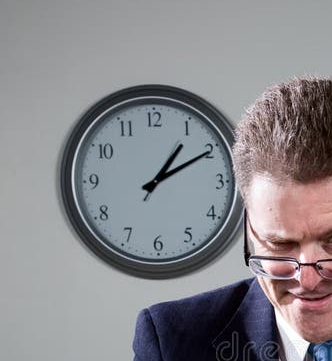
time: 1:10
